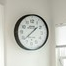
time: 1:38
